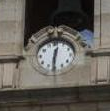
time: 12:30
